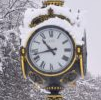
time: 10:42
